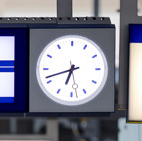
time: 6:41
